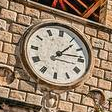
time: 1:13
